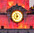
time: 11:35
